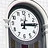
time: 12:13
